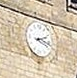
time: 2:18
